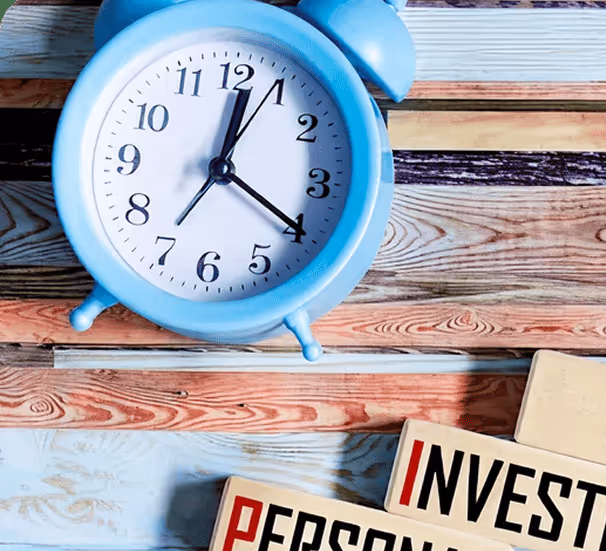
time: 12:19
